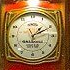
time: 1:10
